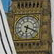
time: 6:18
